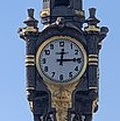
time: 12:14
